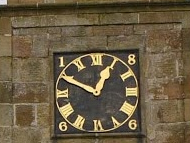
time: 12:49
